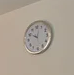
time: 10:02
